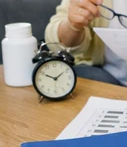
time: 1:49
